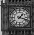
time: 1:18
